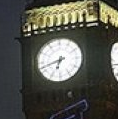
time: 6:42
